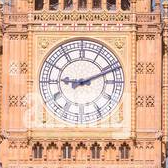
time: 9:11
